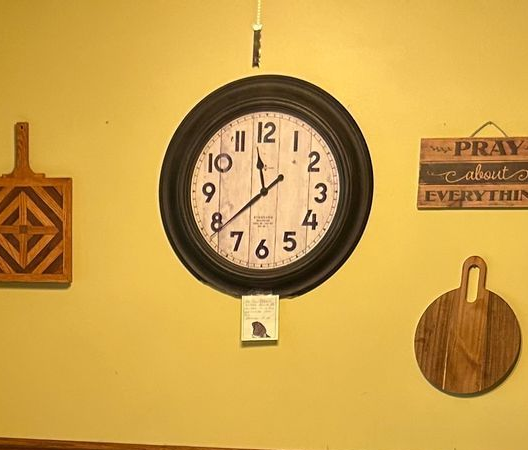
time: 11:38
